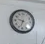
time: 9:33
